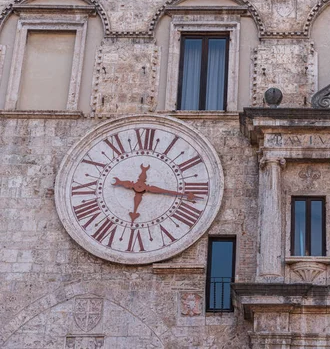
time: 12:16
